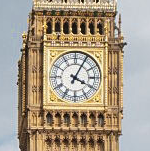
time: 4:04
